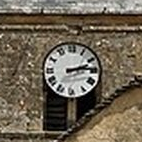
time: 2:13
